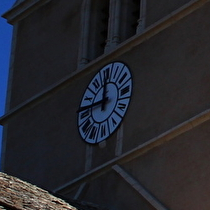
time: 11:46
